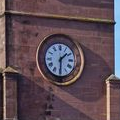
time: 1:29
